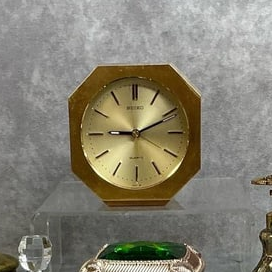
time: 9:10
